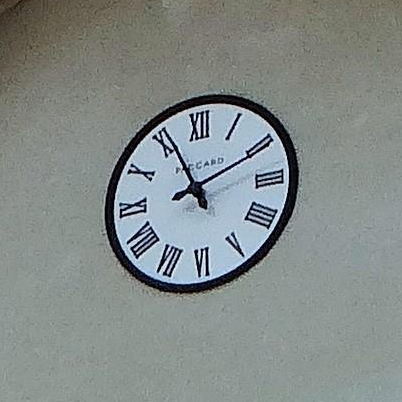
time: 11:10
